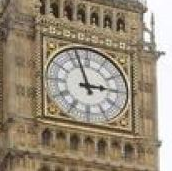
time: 2:56
